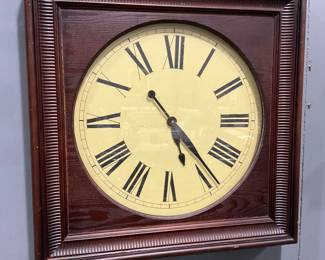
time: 5:23
